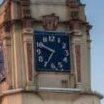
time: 6:49
